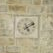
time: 5:09
